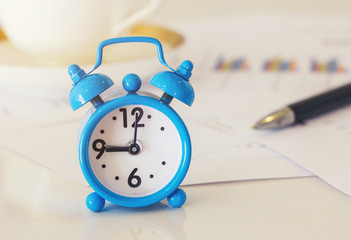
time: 9:01
